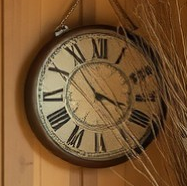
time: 3:53
